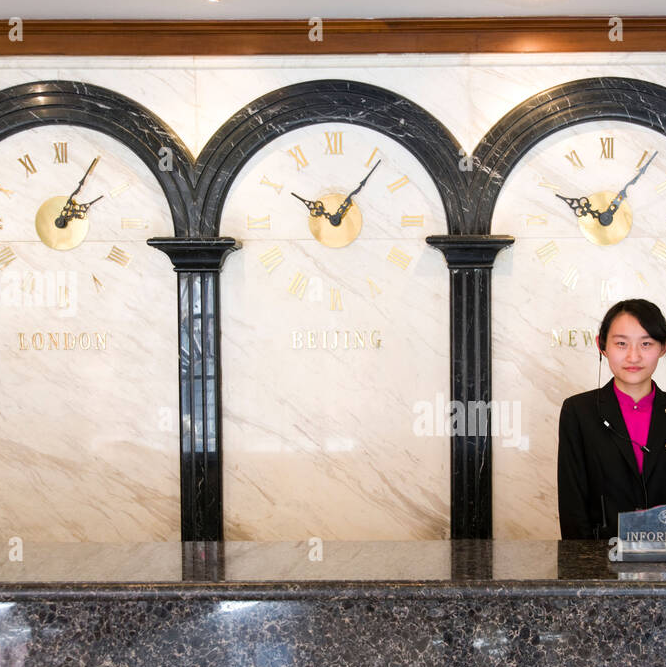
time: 10:07
